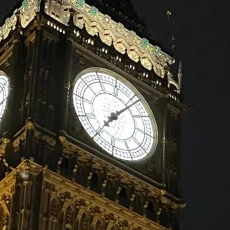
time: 7:06
